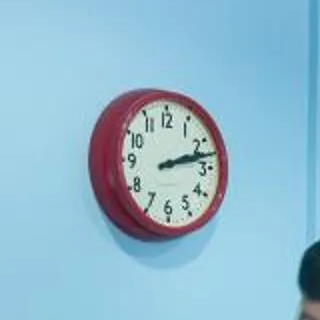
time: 2:12
